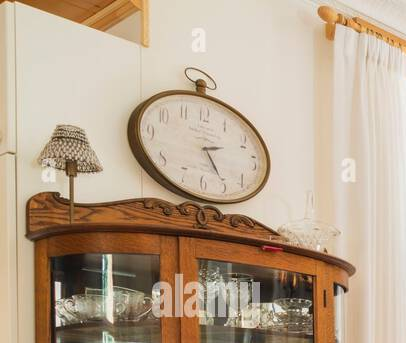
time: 2:24
